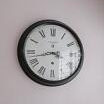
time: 3:42
